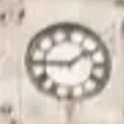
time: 1:45
